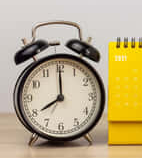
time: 8:00
